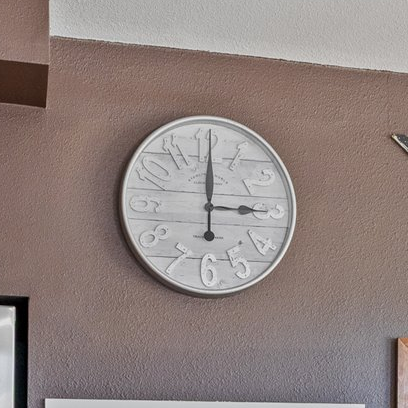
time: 3:00
